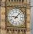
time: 9:07
